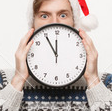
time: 11:54
